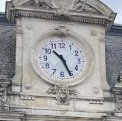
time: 10:25
